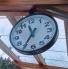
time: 11:35
